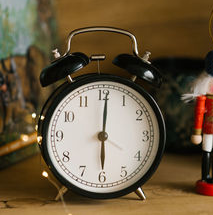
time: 6:00
